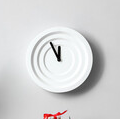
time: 11:55
